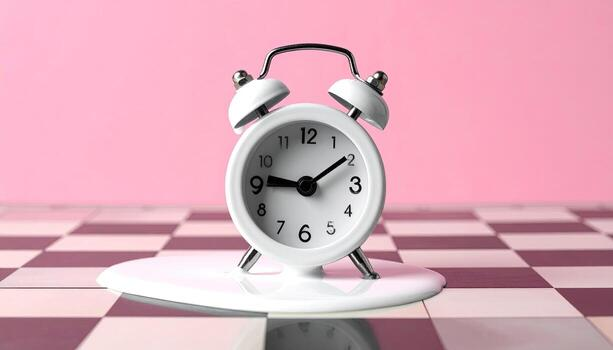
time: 9:10
